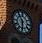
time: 5:54
